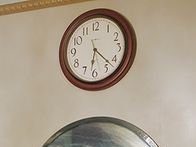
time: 6:22
